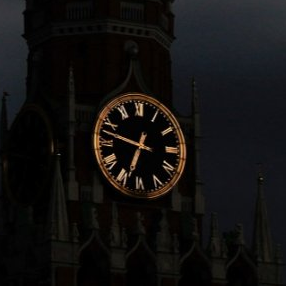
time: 6:47
